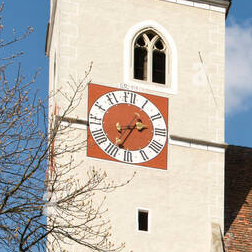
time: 2:34
